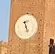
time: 5:26
